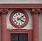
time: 4:08
